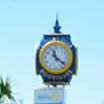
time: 11:21
